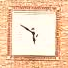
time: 5:50
